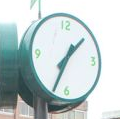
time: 1:33
